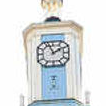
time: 1:56
